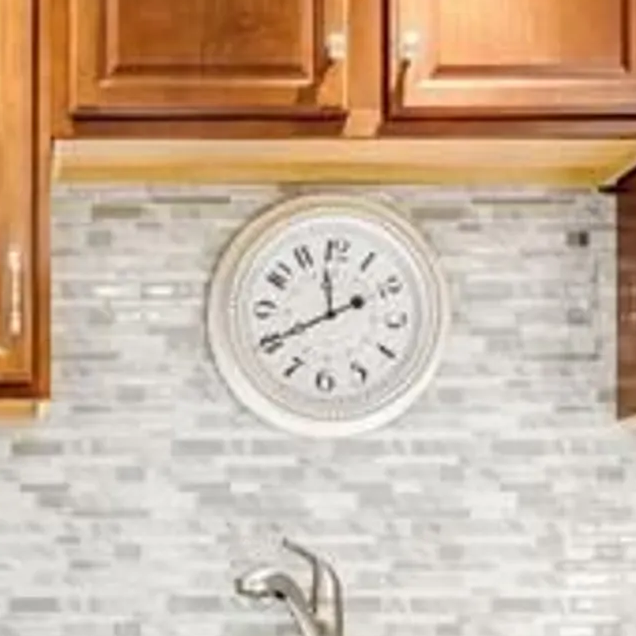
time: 11:40
